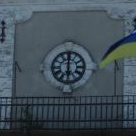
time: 5:59
